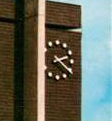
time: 2:21
